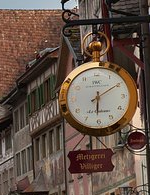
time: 6:09
